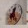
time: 12:23
